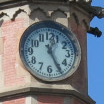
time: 12:25
